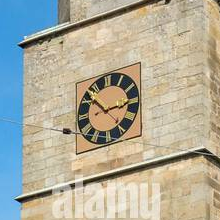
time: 2:52
